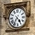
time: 4:35
